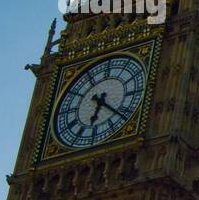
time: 6:21
